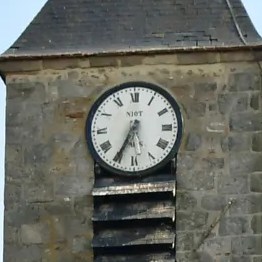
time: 5:34
